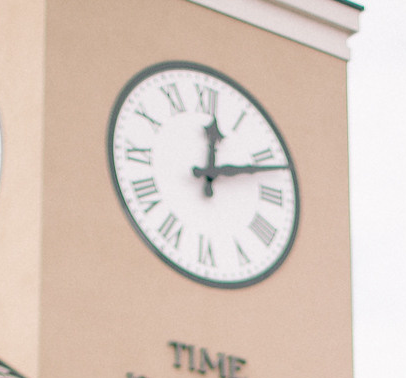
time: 12:11
